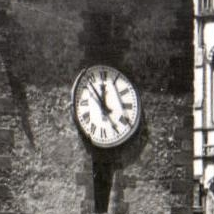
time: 11:53
